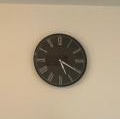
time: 5:19
